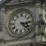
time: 3:22
